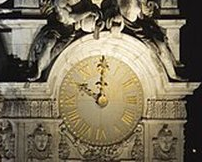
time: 10:00
